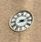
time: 3:12
